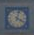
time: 4:02
